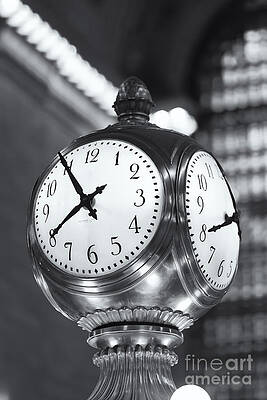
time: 7:54
